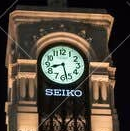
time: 8:27
